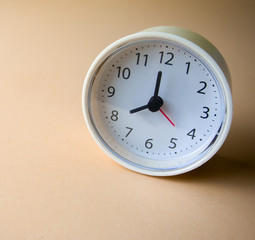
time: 7:59
